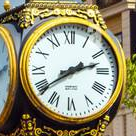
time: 2:39
